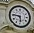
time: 5:46
